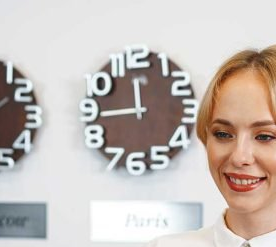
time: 11:44
